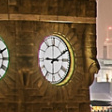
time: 9:10
